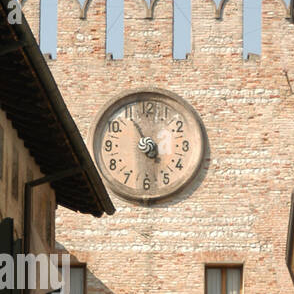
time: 10:55
